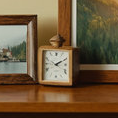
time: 2:10
